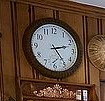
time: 2:24
